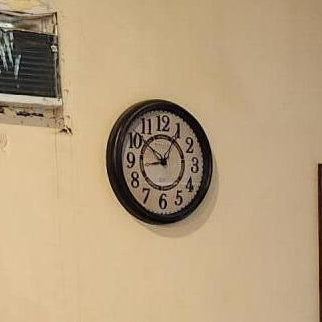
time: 8:51
